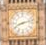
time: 8:12
